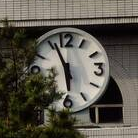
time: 5:56
